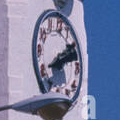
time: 2:11
